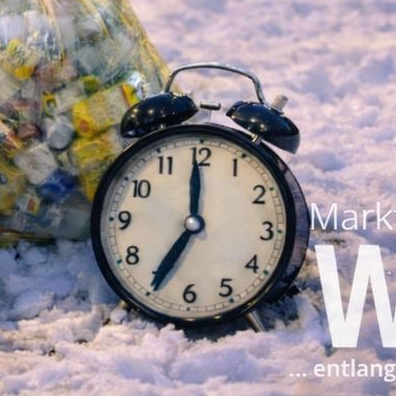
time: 6:59
